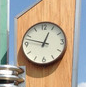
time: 12:47
